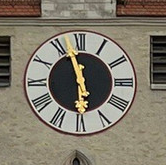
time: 5:57
